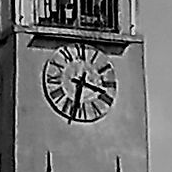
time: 3:32
